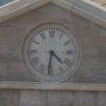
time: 4:31
